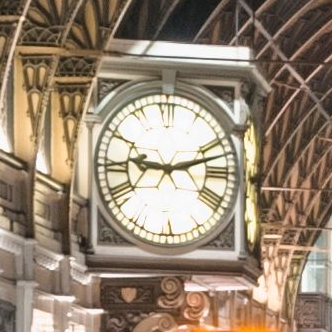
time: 9:12
